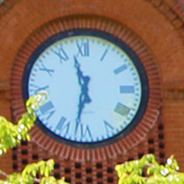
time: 11:32
